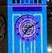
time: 7:10
